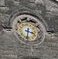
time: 3:32
